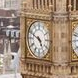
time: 4:49
